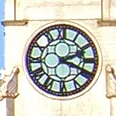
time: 2:18
